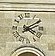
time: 4:09
